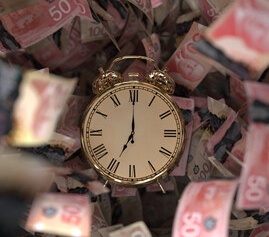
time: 7:00
